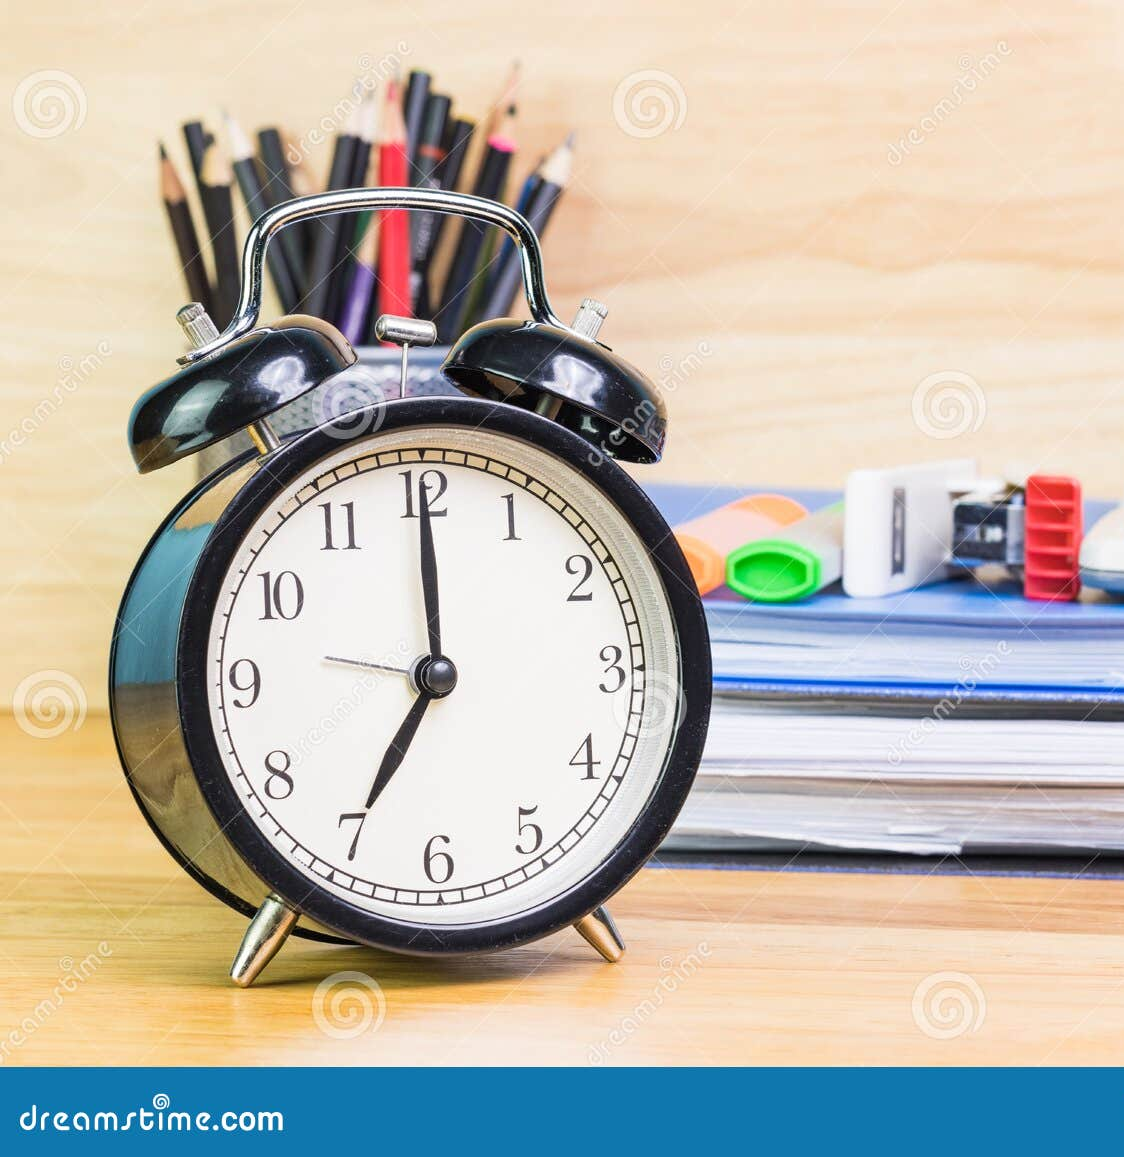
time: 7:00
